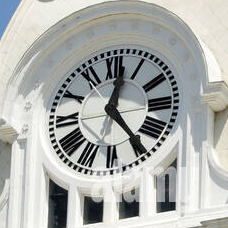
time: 12:23
